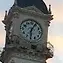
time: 6:04
